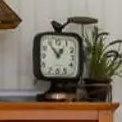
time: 12:53
